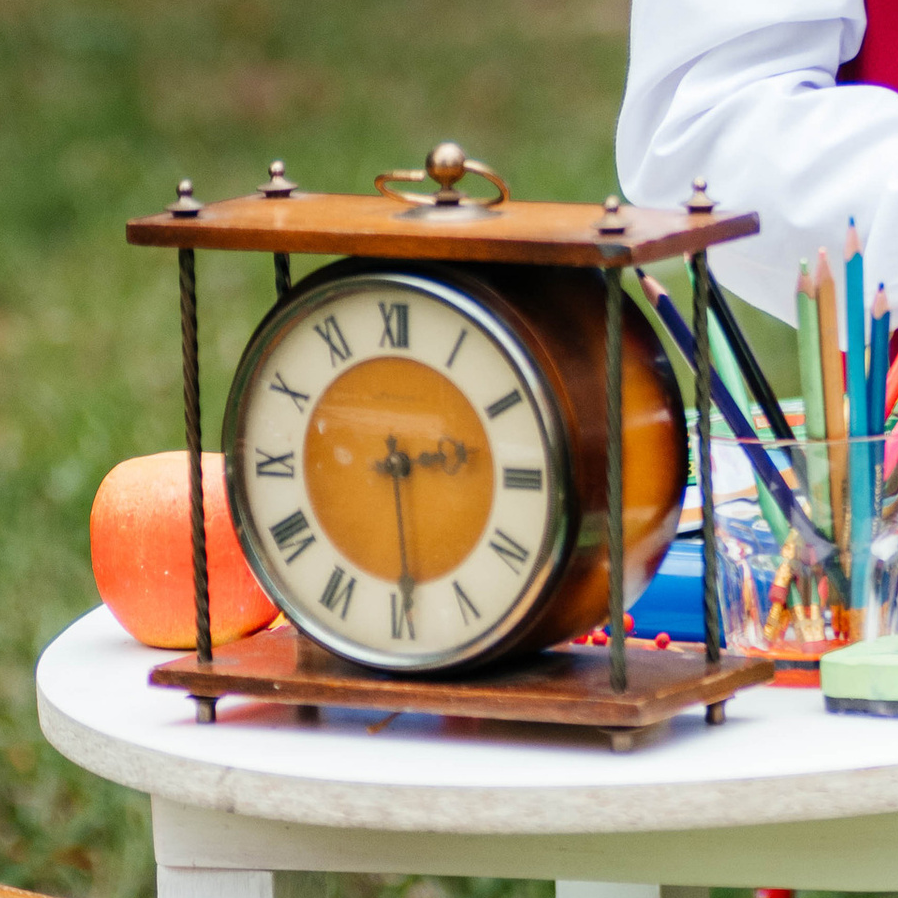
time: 2:29
